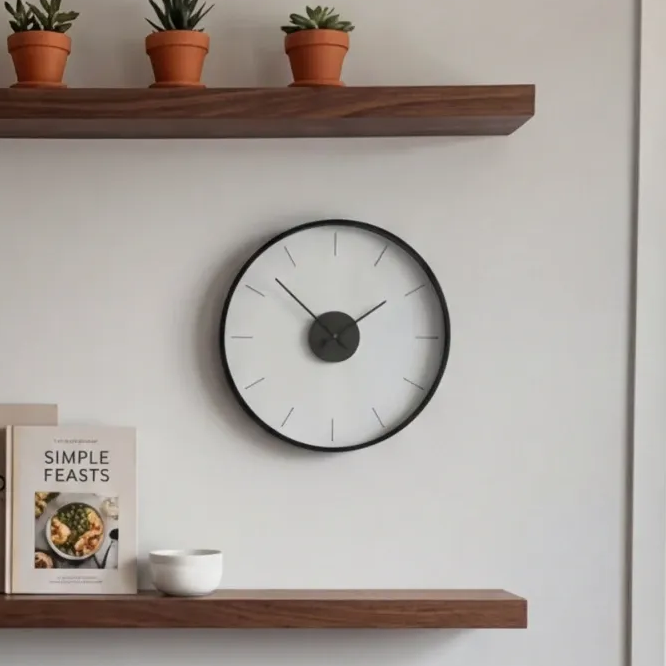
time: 1:52
